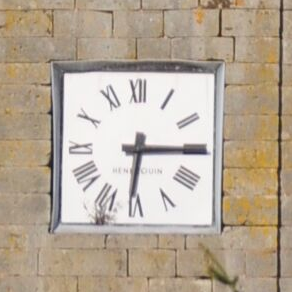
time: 6:15
